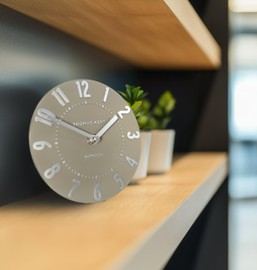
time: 1:50
